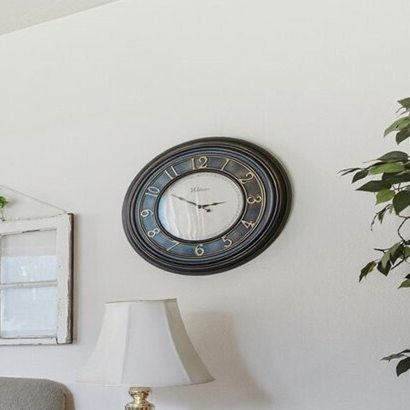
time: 2:50
